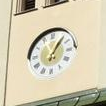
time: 1:06
